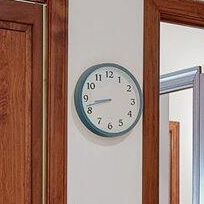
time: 8:42
